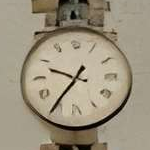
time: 9:36
